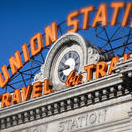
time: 9:43
